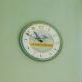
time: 10:48
